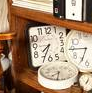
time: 7:34
